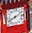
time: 8:11
